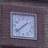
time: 1:38
